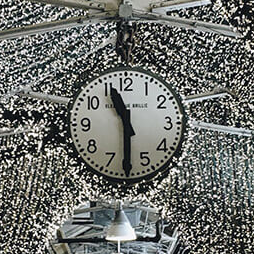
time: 11:29
